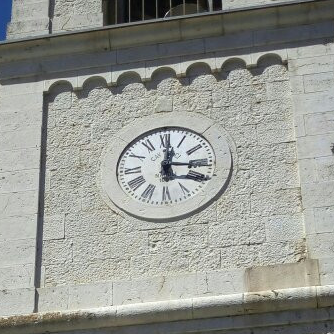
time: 12:16
